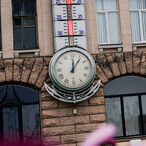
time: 12:06
